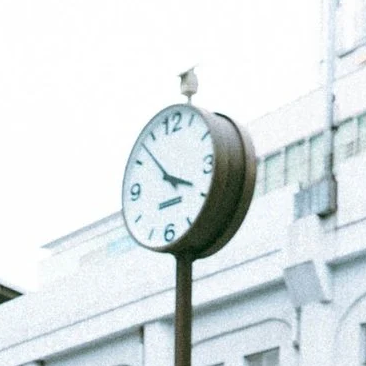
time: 3:52
